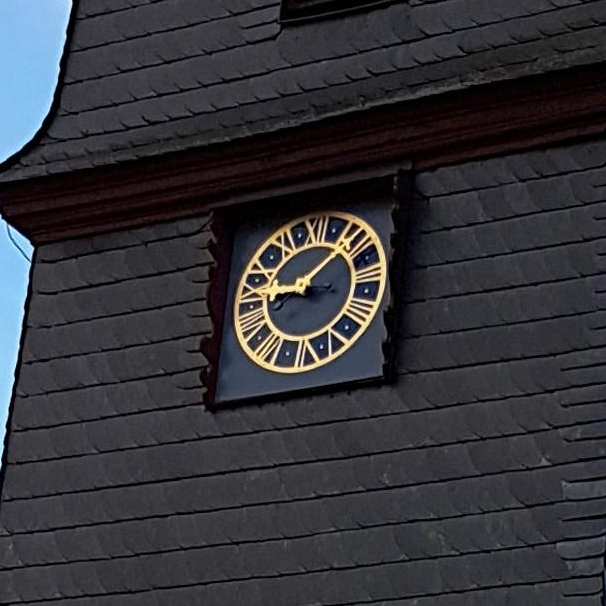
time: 9:07
